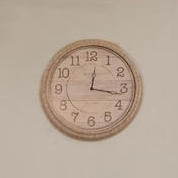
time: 12:16
